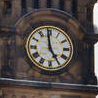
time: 4:59
